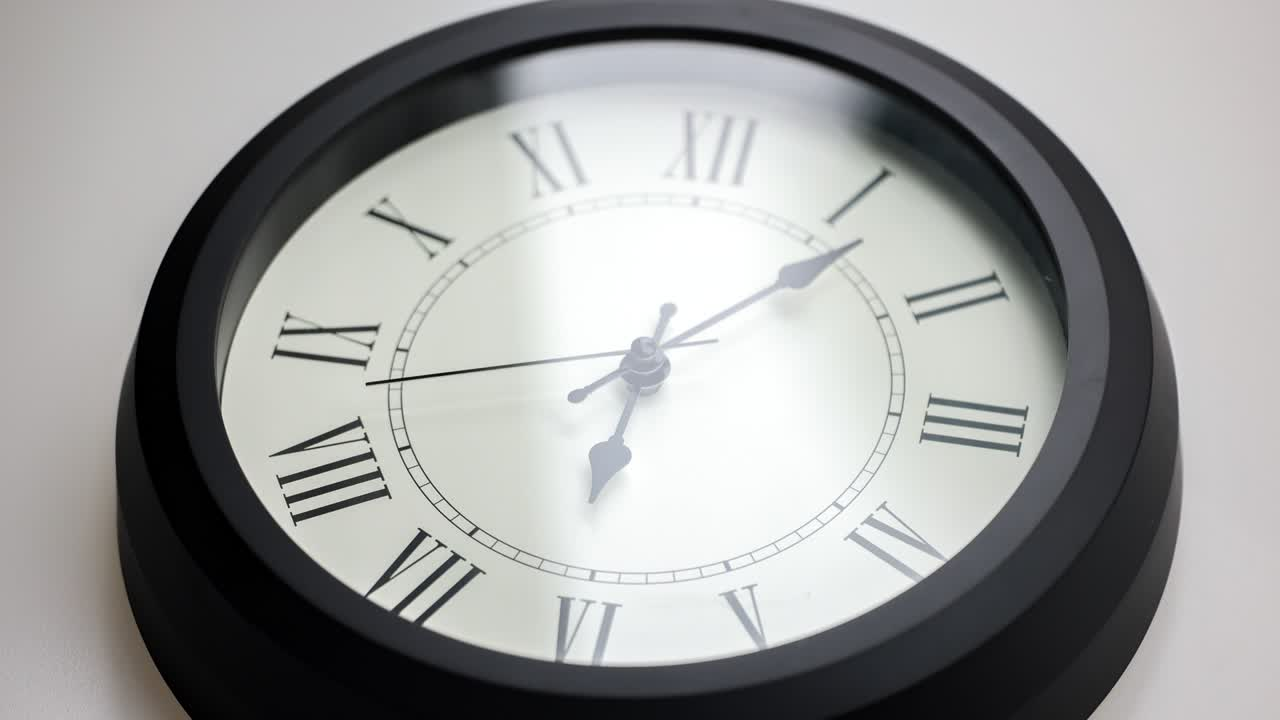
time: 6:07
